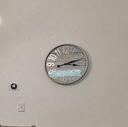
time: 3:11
